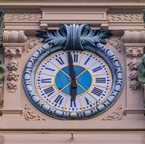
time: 5:58
